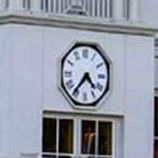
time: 4:36
